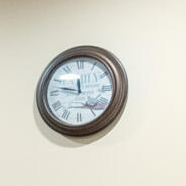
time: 11:47
